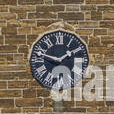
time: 1:47
